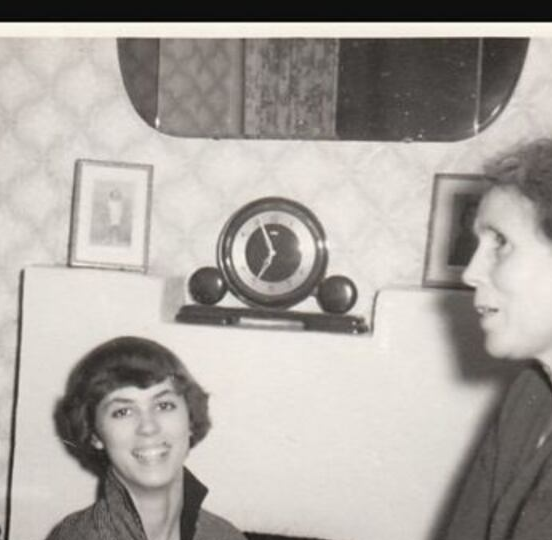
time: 6:56
